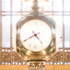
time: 4:40
